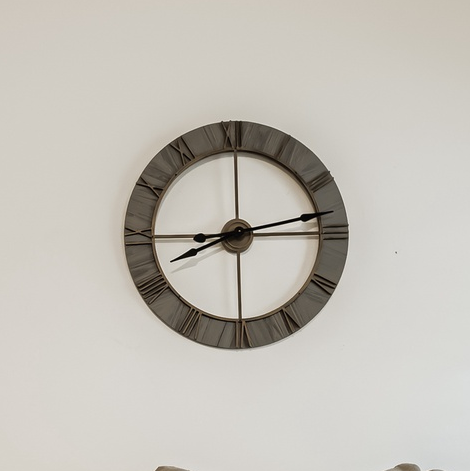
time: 8:13
